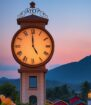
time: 4:59
